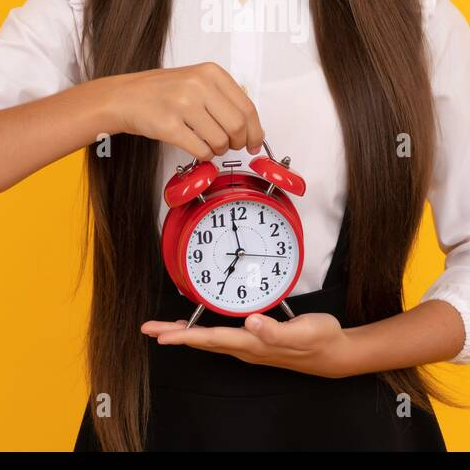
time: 6:58
